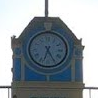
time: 6:25
